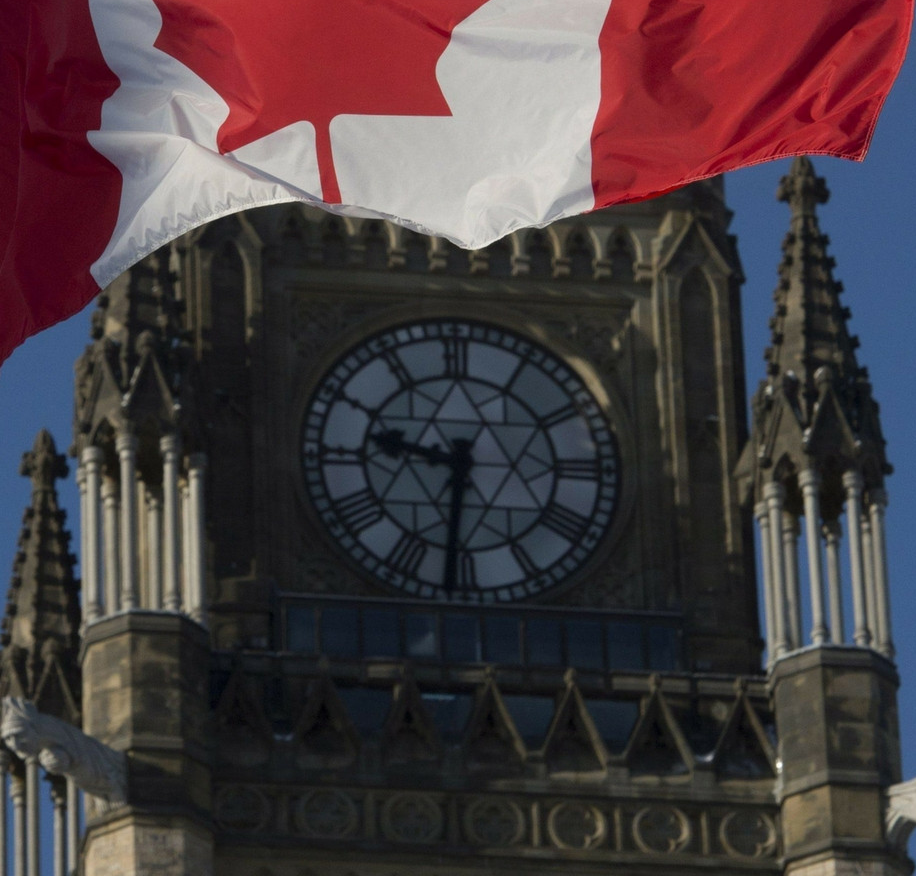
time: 9:31
